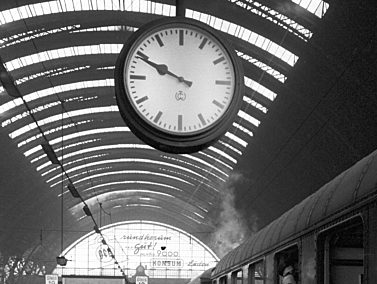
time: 9:49
